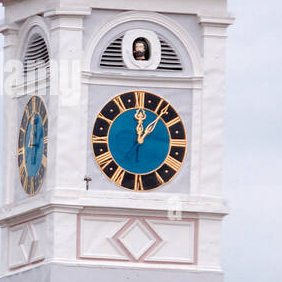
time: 12:06
